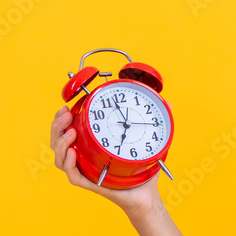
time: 6:57
